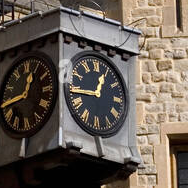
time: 12:44
